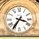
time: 3:35
